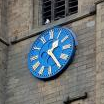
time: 1:24
